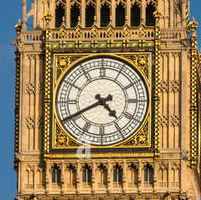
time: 4:40
